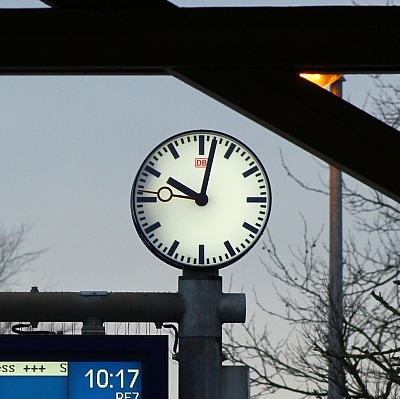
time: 10:02
